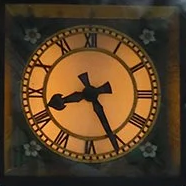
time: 8:25
